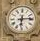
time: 6:14
